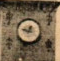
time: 12:47
